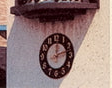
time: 12:12
